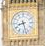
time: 8:27
